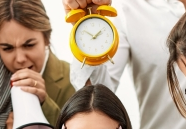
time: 1:52
